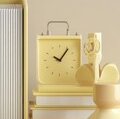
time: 10:06
